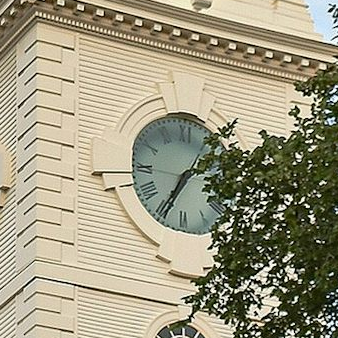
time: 1:34
